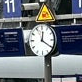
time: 12:20
